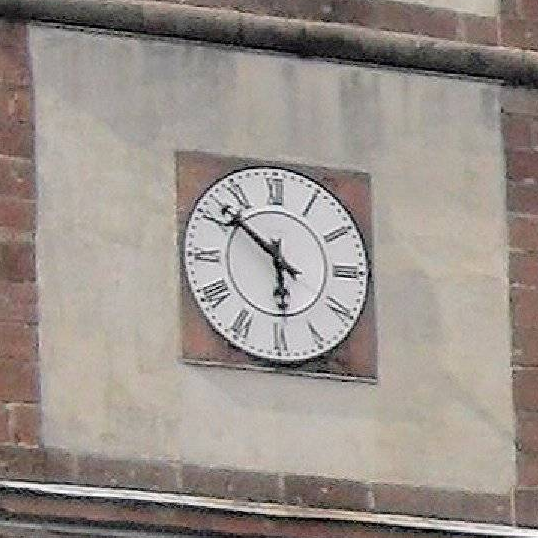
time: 5:51
